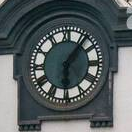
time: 6:06
